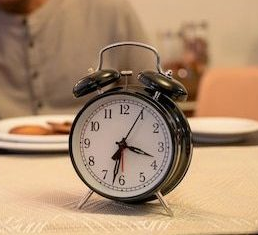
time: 3:32
